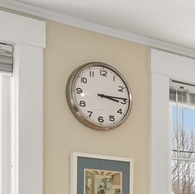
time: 3:14
